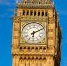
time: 6:10
